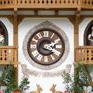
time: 2:18
